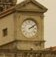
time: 2:09
